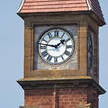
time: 1:46
